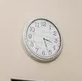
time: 3:26
